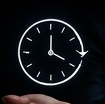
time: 4:00
